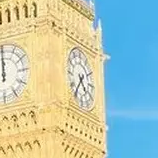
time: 4:35
